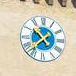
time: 10:37
